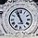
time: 10:56
